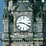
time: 9:20
